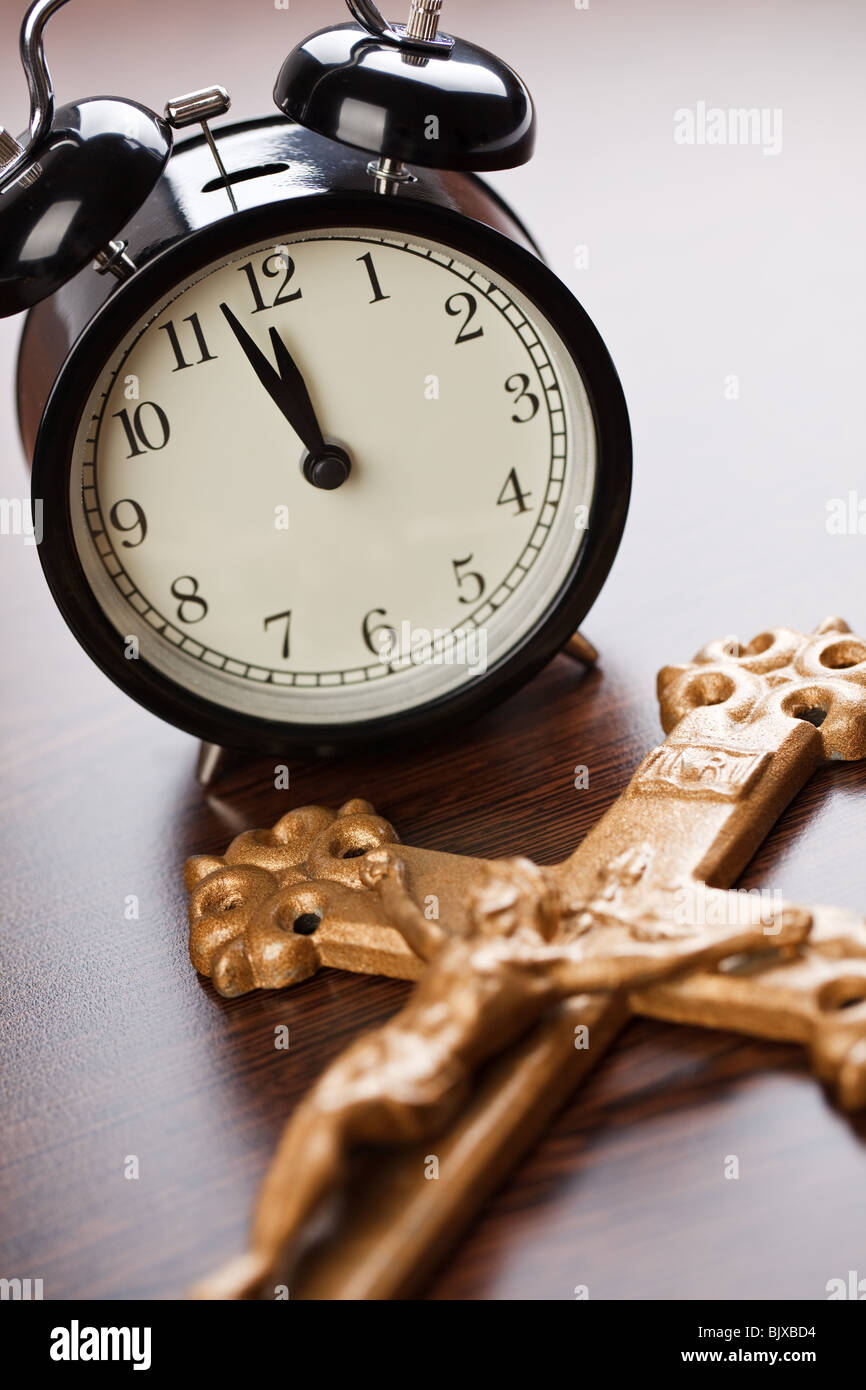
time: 11:57
